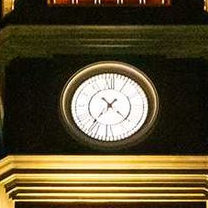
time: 10:36
